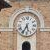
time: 5:34
